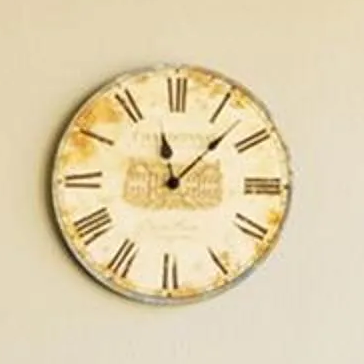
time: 11:07
